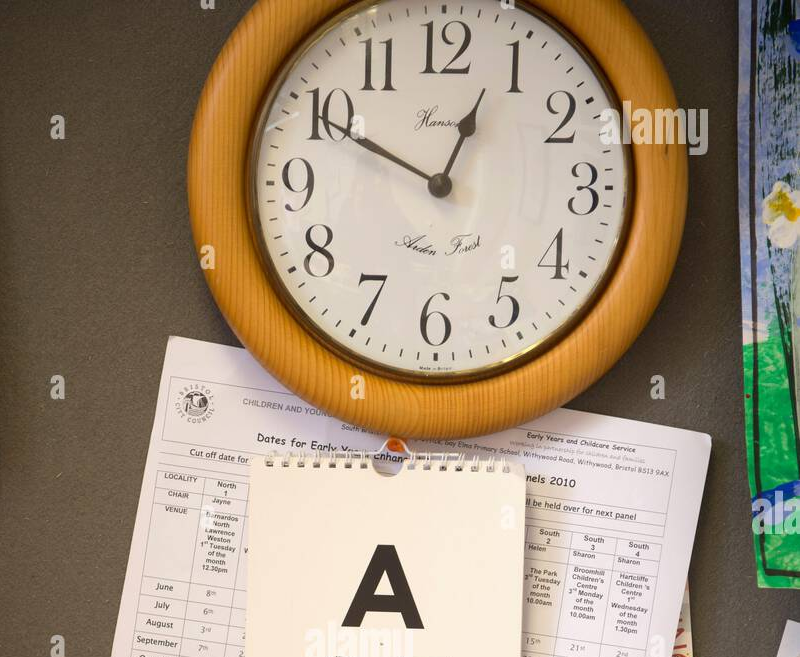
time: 12:49
